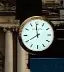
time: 7:59
